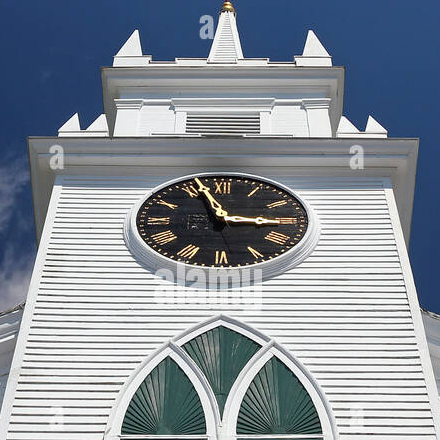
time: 2:56
